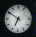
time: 6:50
